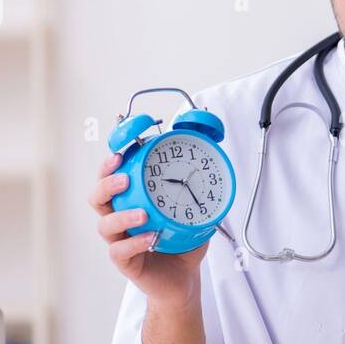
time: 9:25
